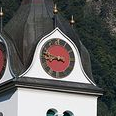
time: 8:47
